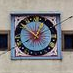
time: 12:50
